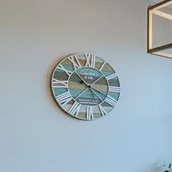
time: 3:52
